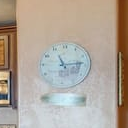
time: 11:13
